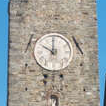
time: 10:00
